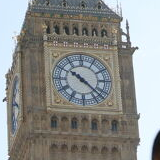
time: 10:22
